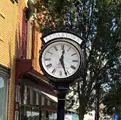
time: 12:26
